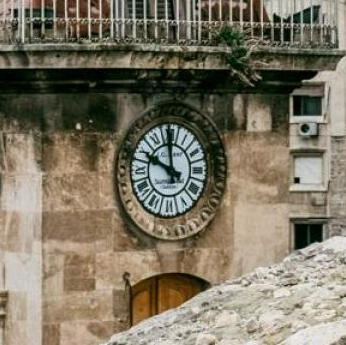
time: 11:48
